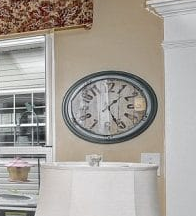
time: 1:26
